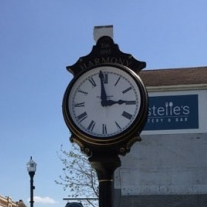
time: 2:58
